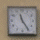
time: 11:24
